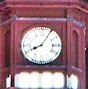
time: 8:05
